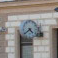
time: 4:38
